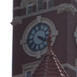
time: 4:18
